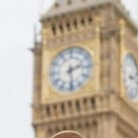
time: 2:28
